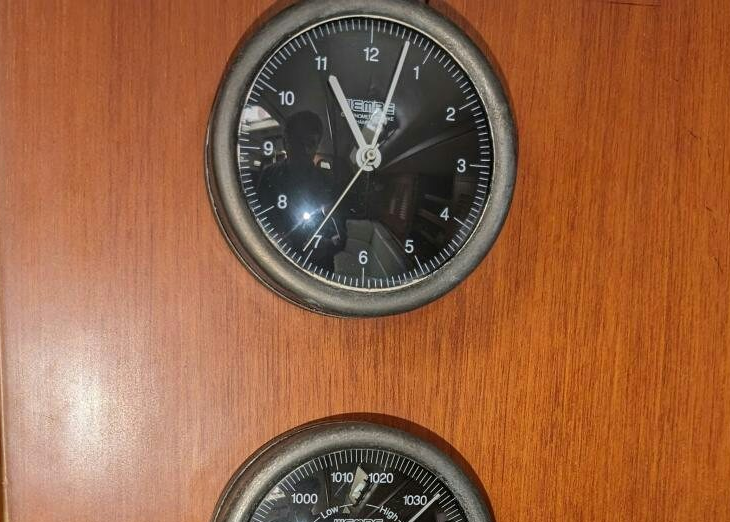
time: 11:03
